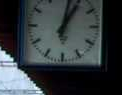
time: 1:02
